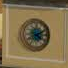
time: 4:10
